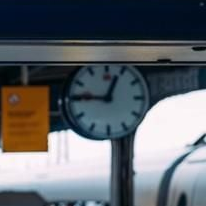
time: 12:46
